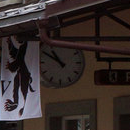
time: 10:50
